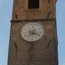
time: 7:18
